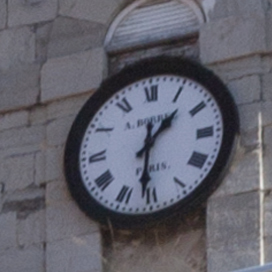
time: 1:31
